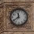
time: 11:39
